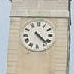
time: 4:22
